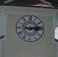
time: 9:14
